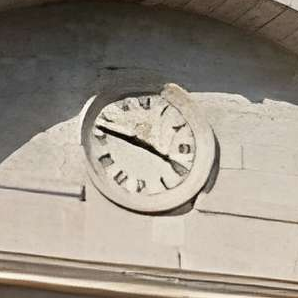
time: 3:47
